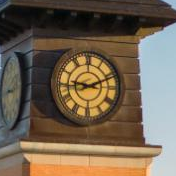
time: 9:11
